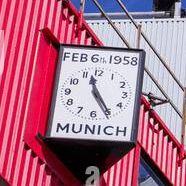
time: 11:24
